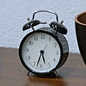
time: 5:33
